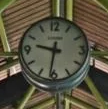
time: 9:31
